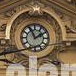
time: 1:56
